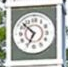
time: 6:52
